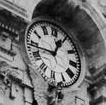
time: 12:43
